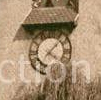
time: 4:07
